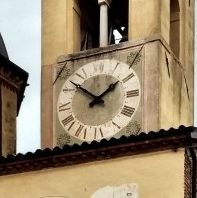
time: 1:51
